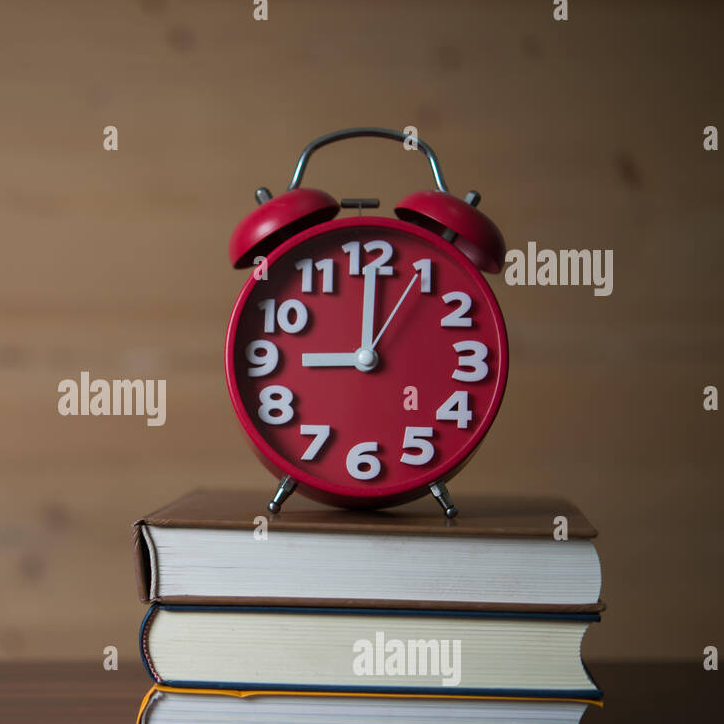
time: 9:00
